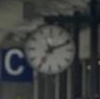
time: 7:11
